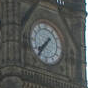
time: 7:36
